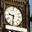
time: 9:32
